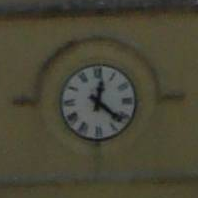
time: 12:21
